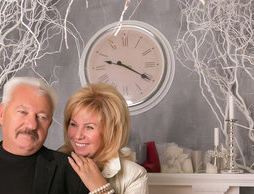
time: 9:19
